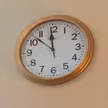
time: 11:52
